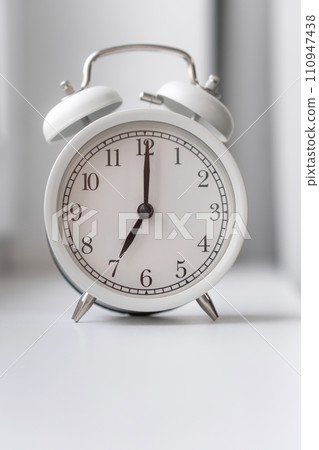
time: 7:00
